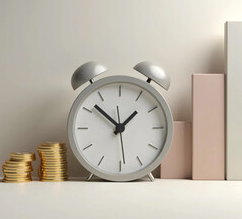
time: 1:51
